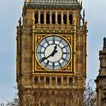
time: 12:39
